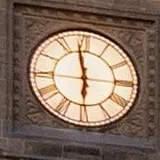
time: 5:58
